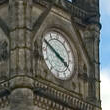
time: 3:49
